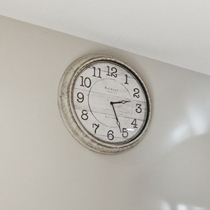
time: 2:26
